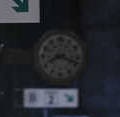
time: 8:18
